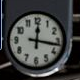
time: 12:16
